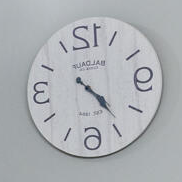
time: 4:23
